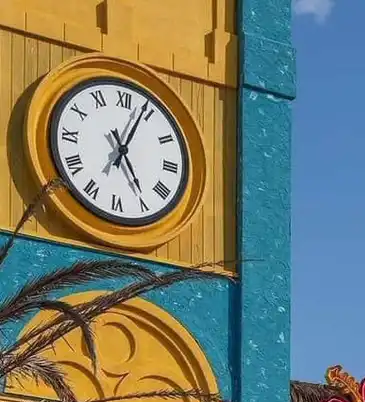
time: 5:03
